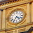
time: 4:35
